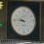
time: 9:45
